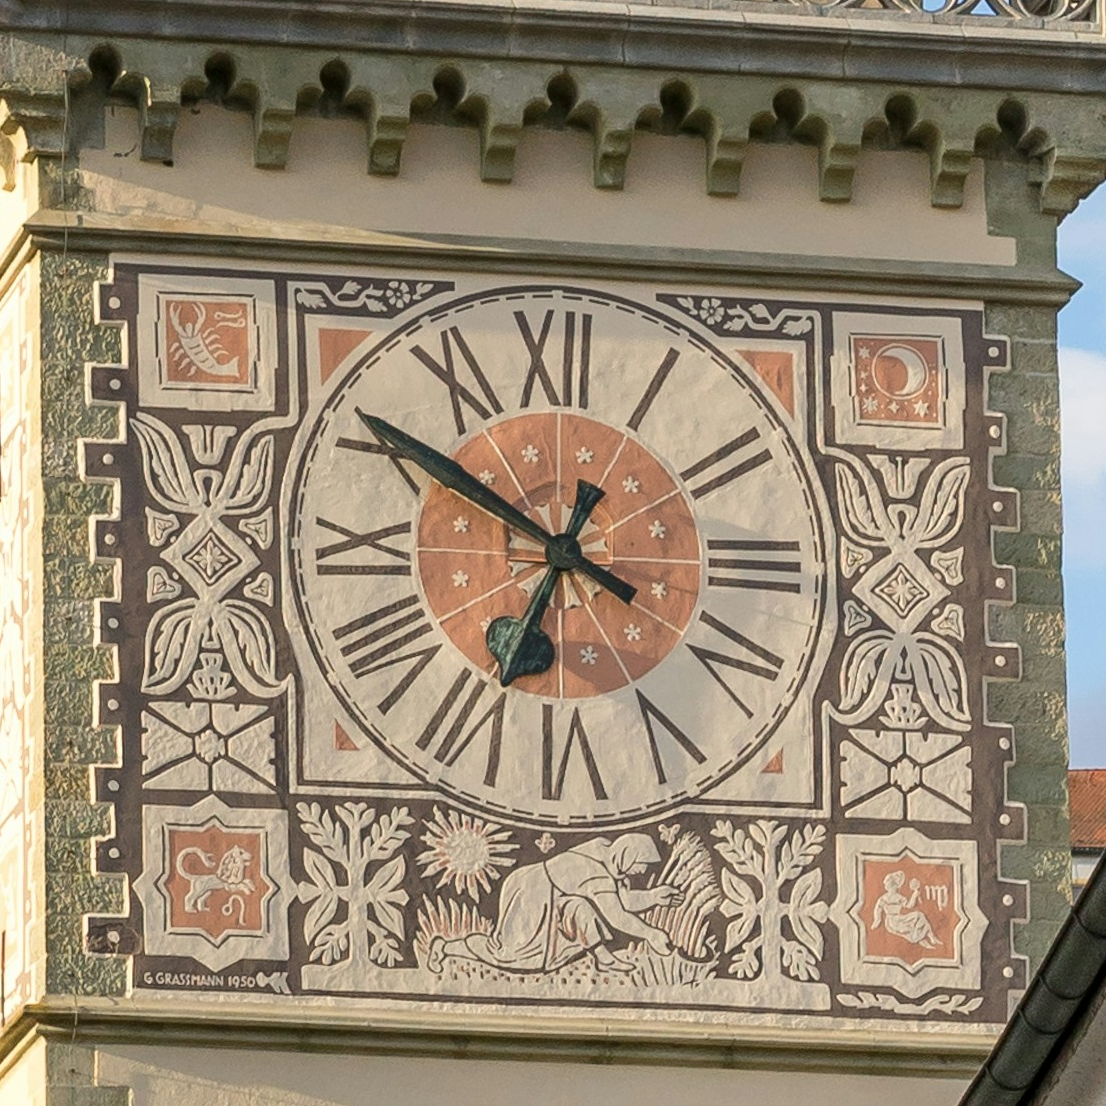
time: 6:50
